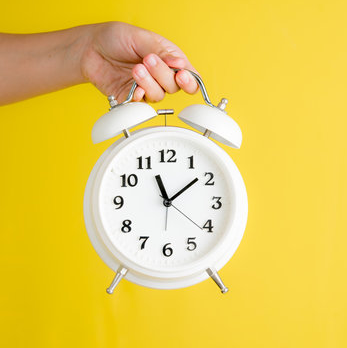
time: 11:08
